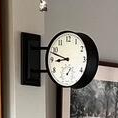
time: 8:48
